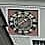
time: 1:37
